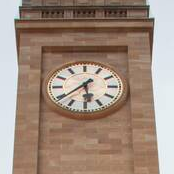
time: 5:38
